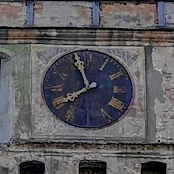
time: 7:56
